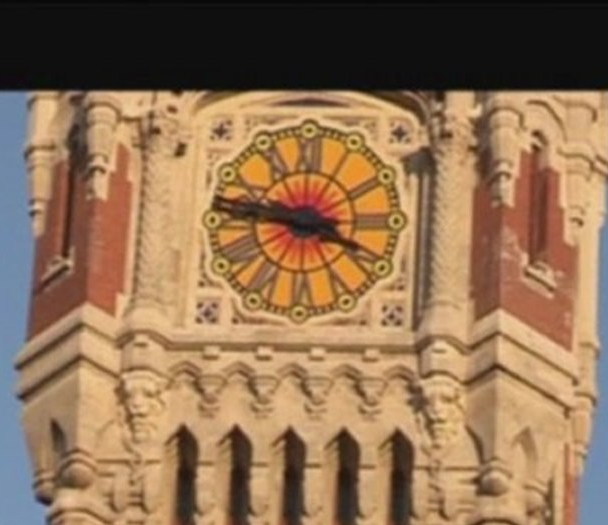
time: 3:46
